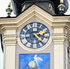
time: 2:21
